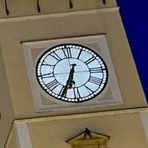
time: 6:34
